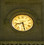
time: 8:27
